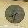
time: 7:32
